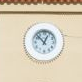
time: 12:52
